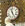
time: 11:25
